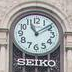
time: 11:09
